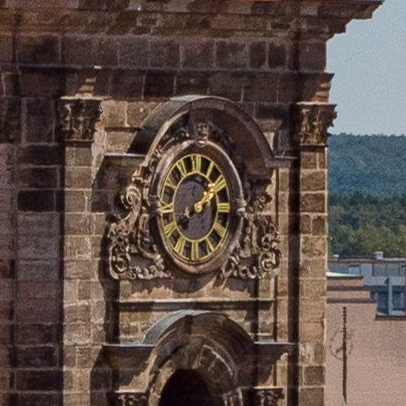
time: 2:09
